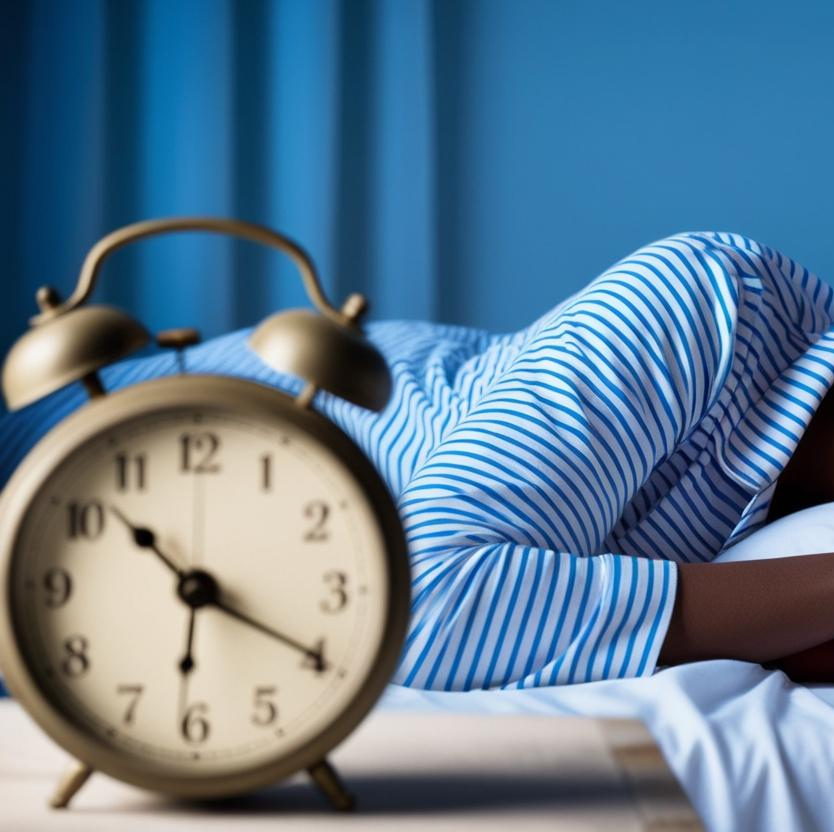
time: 10:20
